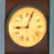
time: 9:03
